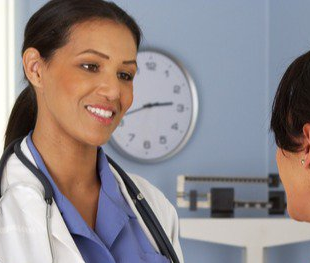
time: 2:42
